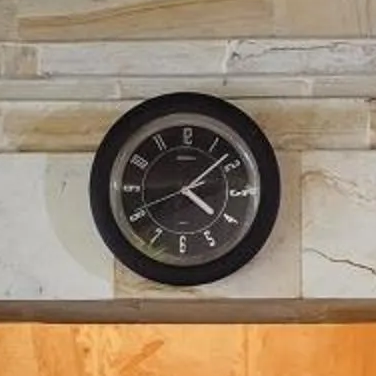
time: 4:08
